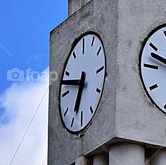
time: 6:47
